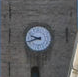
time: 9:42
